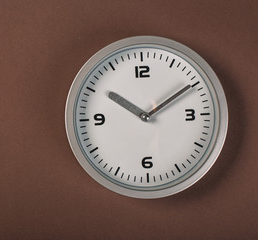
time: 10:09
